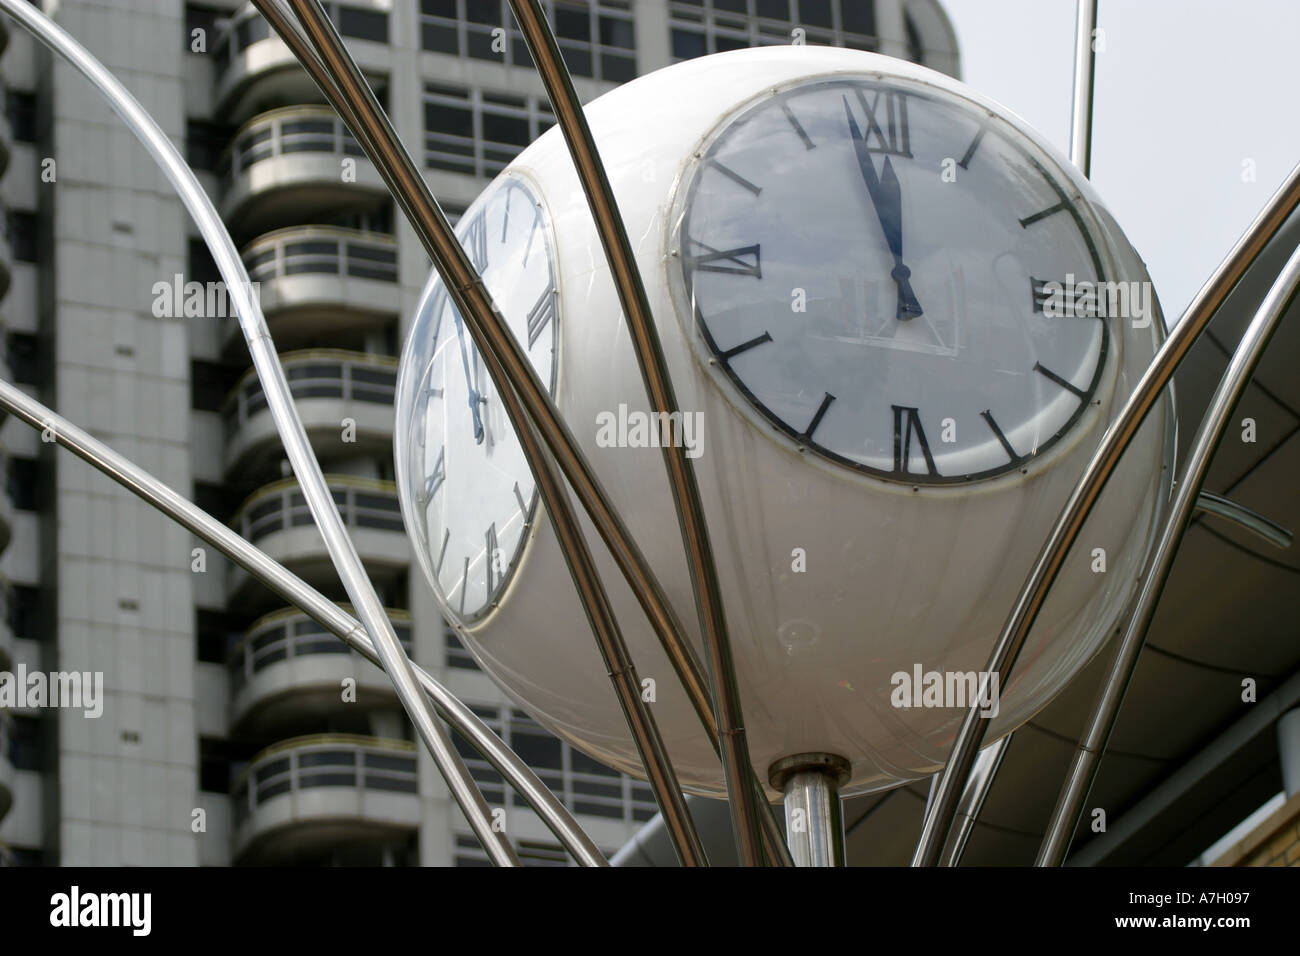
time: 11:58
